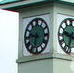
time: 9:32
